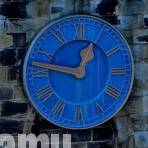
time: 12:47
